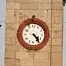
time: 4:23
